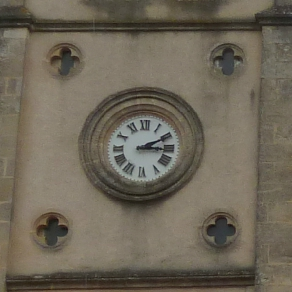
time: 2:16
